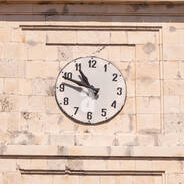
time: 10:48
